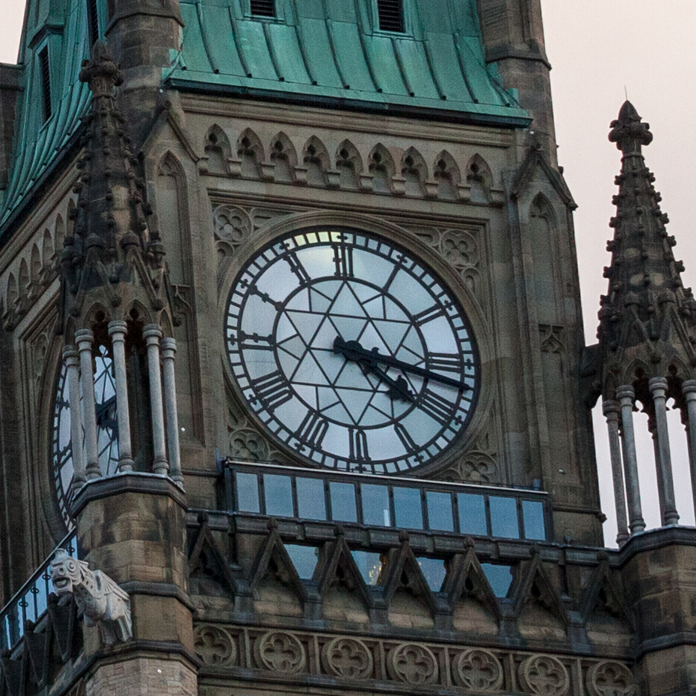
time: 4:16
